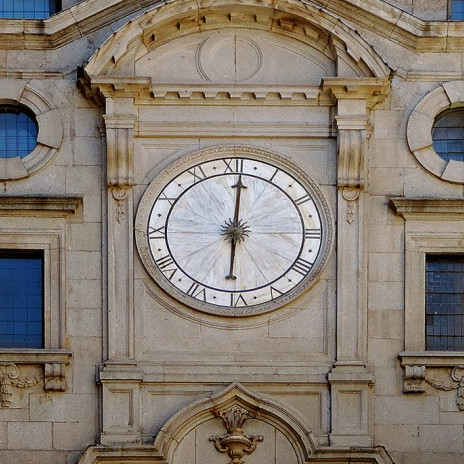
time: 6:00
